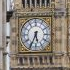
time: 5:34
